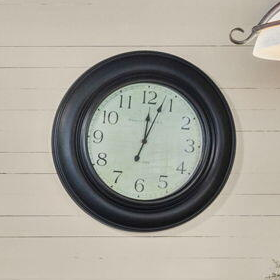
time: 12:02
